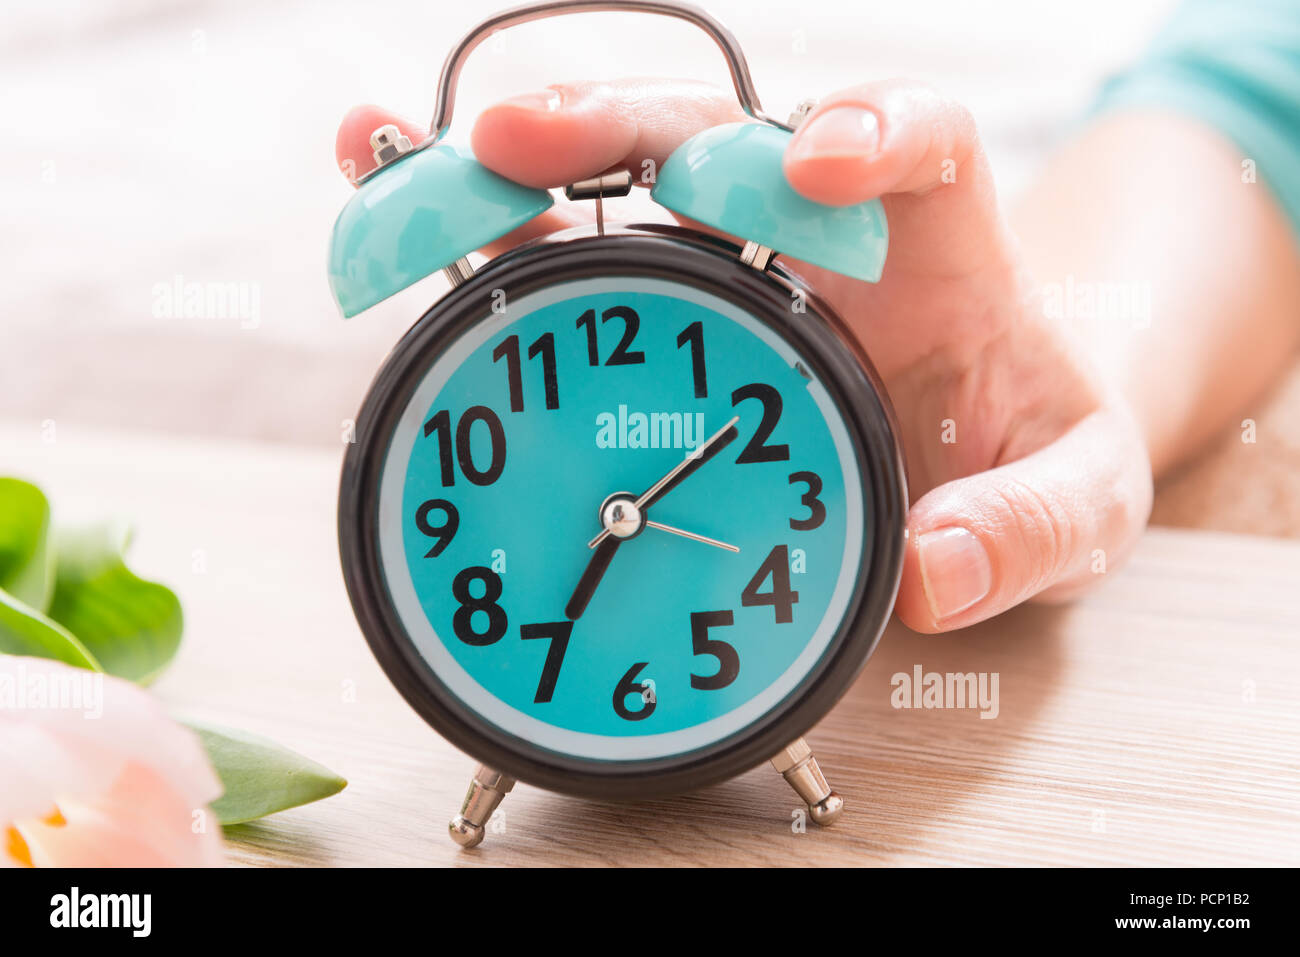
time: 7:09
